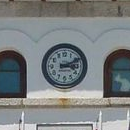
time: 3:11
